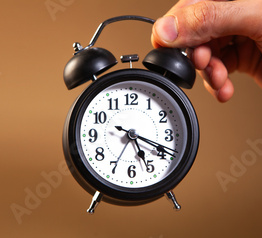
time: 5:18
